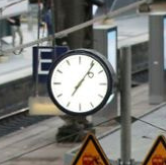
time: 7:06
